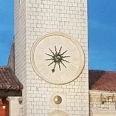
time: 2:33
